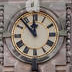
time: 11:53
